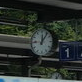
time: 12:06
